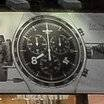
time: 7:59
